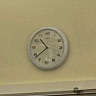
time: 10:38
